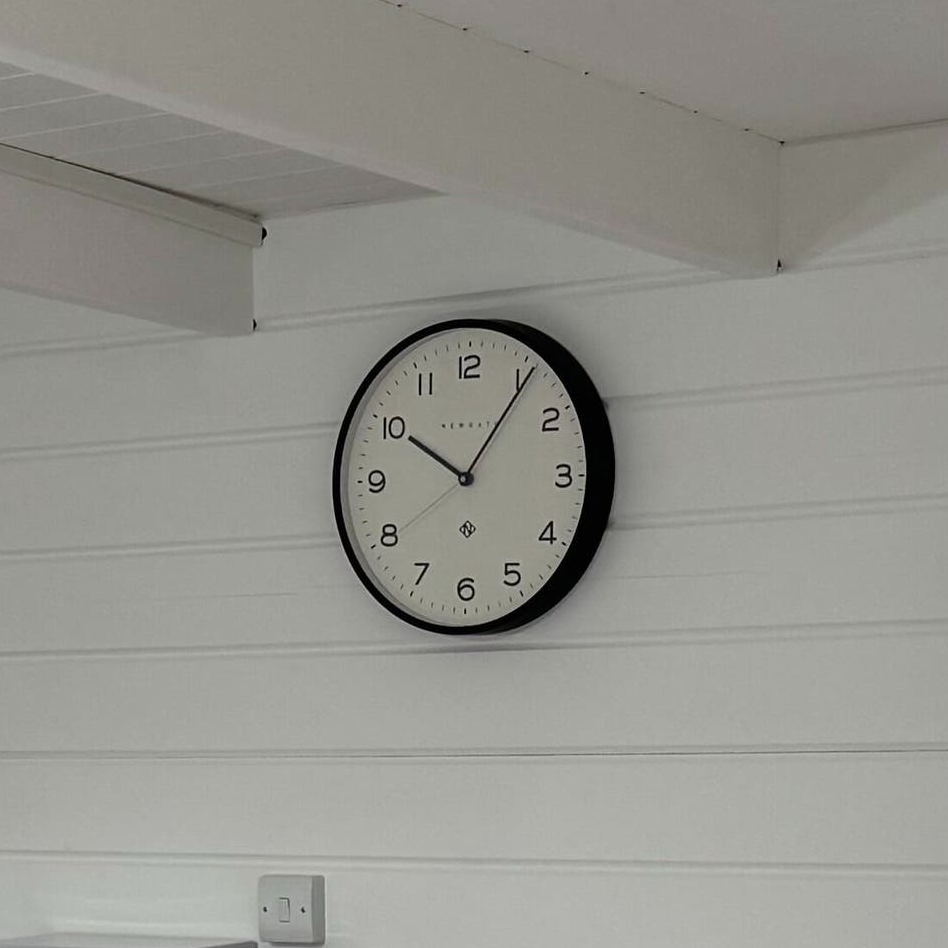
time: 10:05
